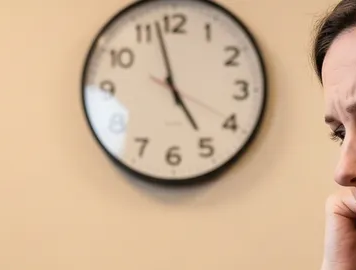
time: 4:57
